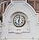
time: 6:01
